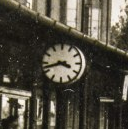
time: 3:42
